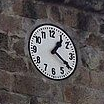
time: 1:20
